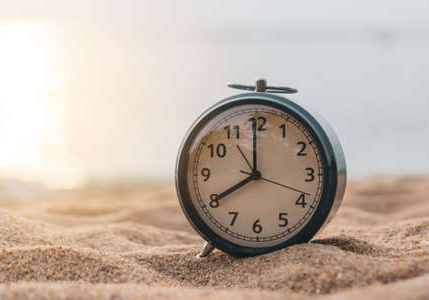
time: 7:59
